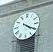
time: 4:20
